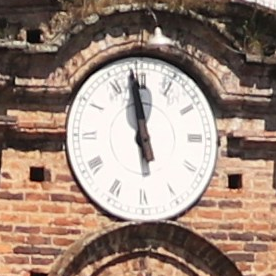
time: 11:58
